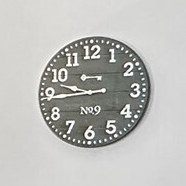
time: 9:44
